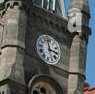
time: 2:58
